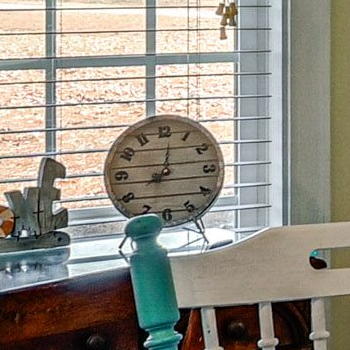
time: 8:01
